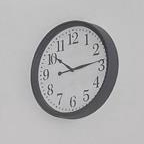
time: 10:13
